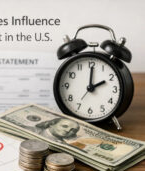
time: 2:00
